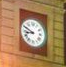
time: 8:49
